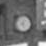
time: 8:27
